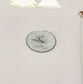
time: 10:46
